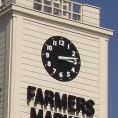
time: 3:13
